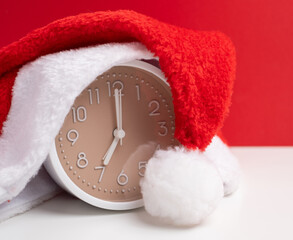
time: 7:00
